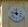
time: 11:47
